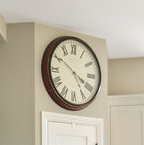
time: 3:50
